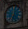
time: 7:00
